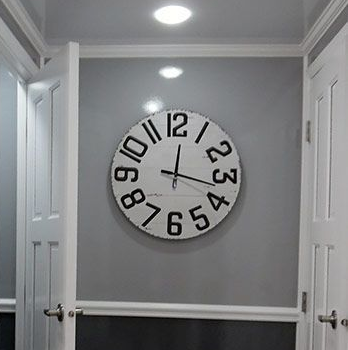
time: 12:17
